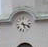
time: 5:18
